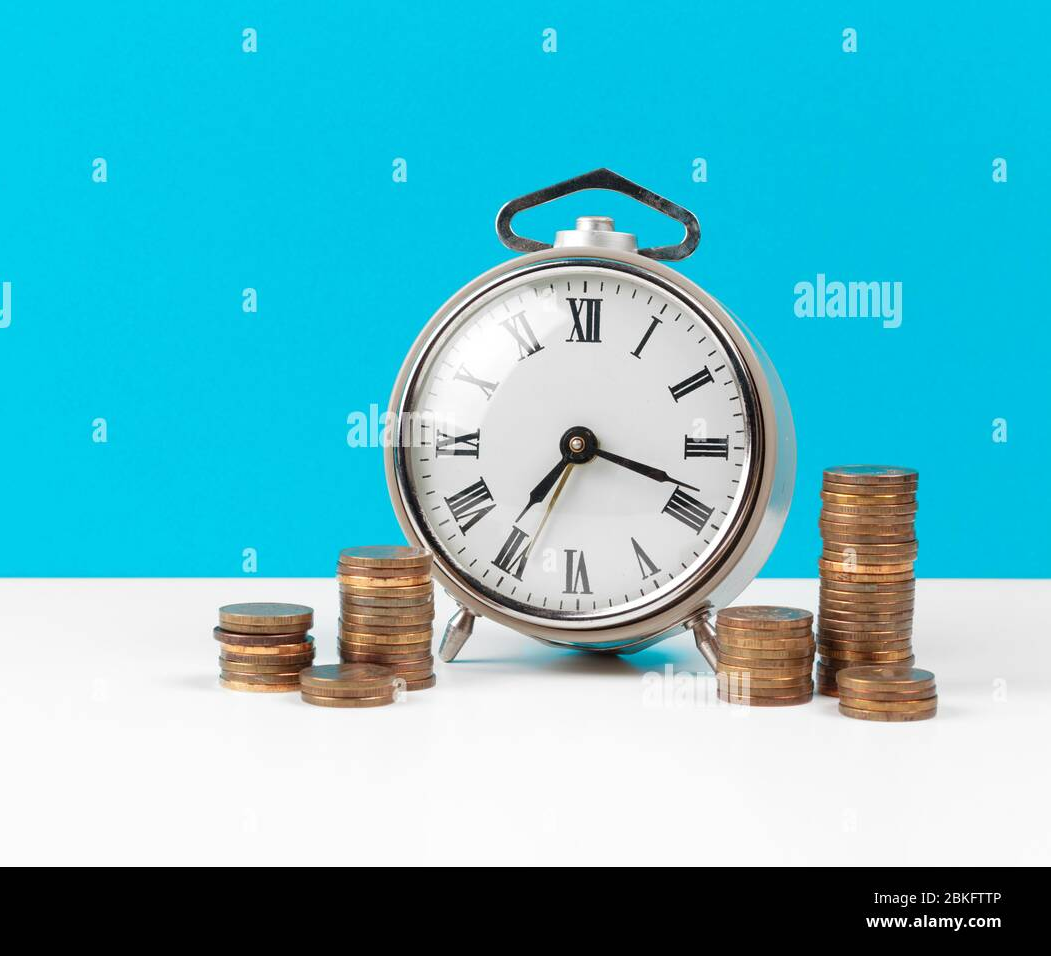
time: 7:18
